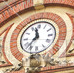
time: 11:36
